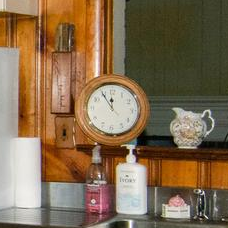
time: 11:54
